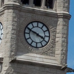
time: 3:48
